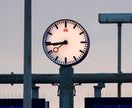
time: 7:43
